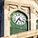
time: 4:35
